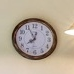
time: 7:55
